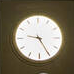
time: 9:25
